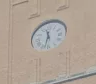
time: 11:32
